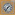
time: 1:36
